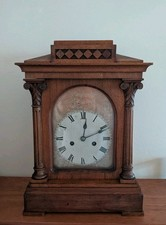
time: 12:11
